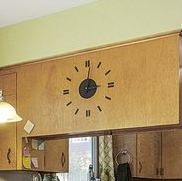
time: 3:01
